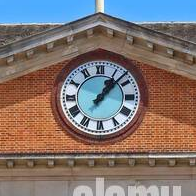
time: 1:07
